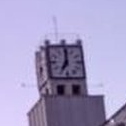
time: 7:00
